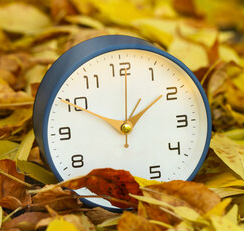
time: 1:50
